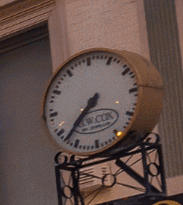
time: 7:37
